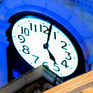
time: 5:02
